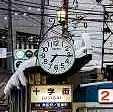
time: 7:15
